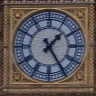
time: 1:24
